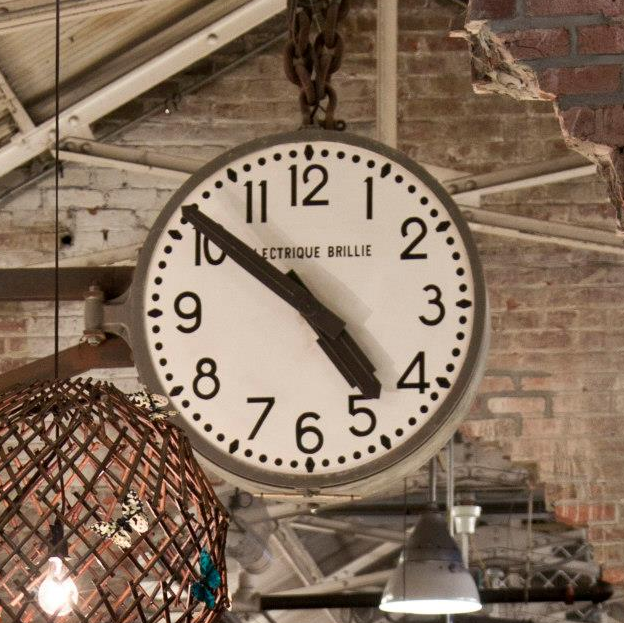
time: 4:51
